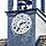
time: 2:34
